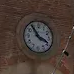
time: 3:54
